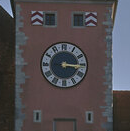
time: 3:16
